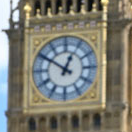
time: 12:50
